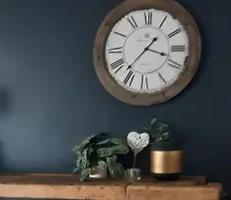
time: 3:36
